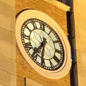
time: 7:32
